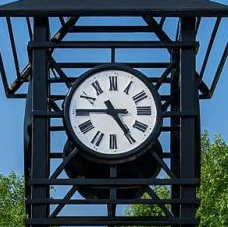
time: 4:45
